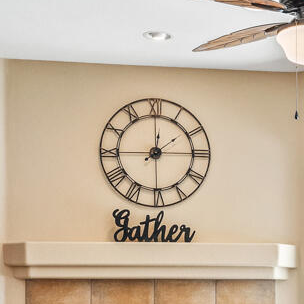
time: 2:00
